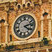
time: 4:12
